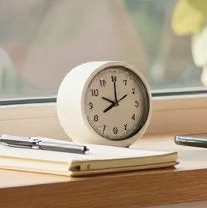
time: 8:00
